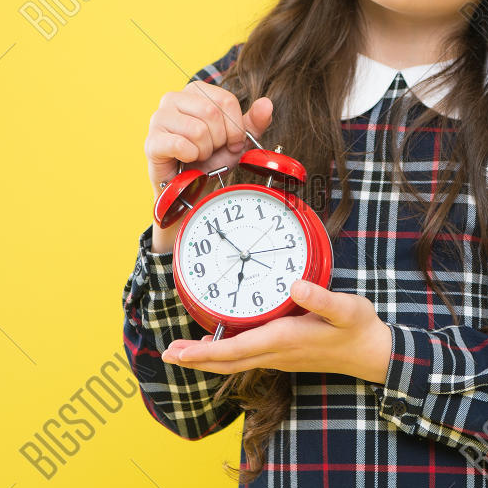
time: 6:55
